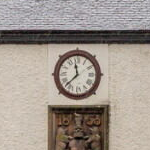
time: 11:37
